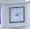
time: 4:10
